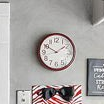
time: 1:50
